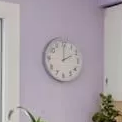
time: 1:59
